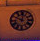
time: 10:00
